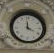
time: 3:59
